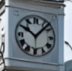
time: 10:07
